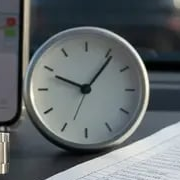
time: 10:06
